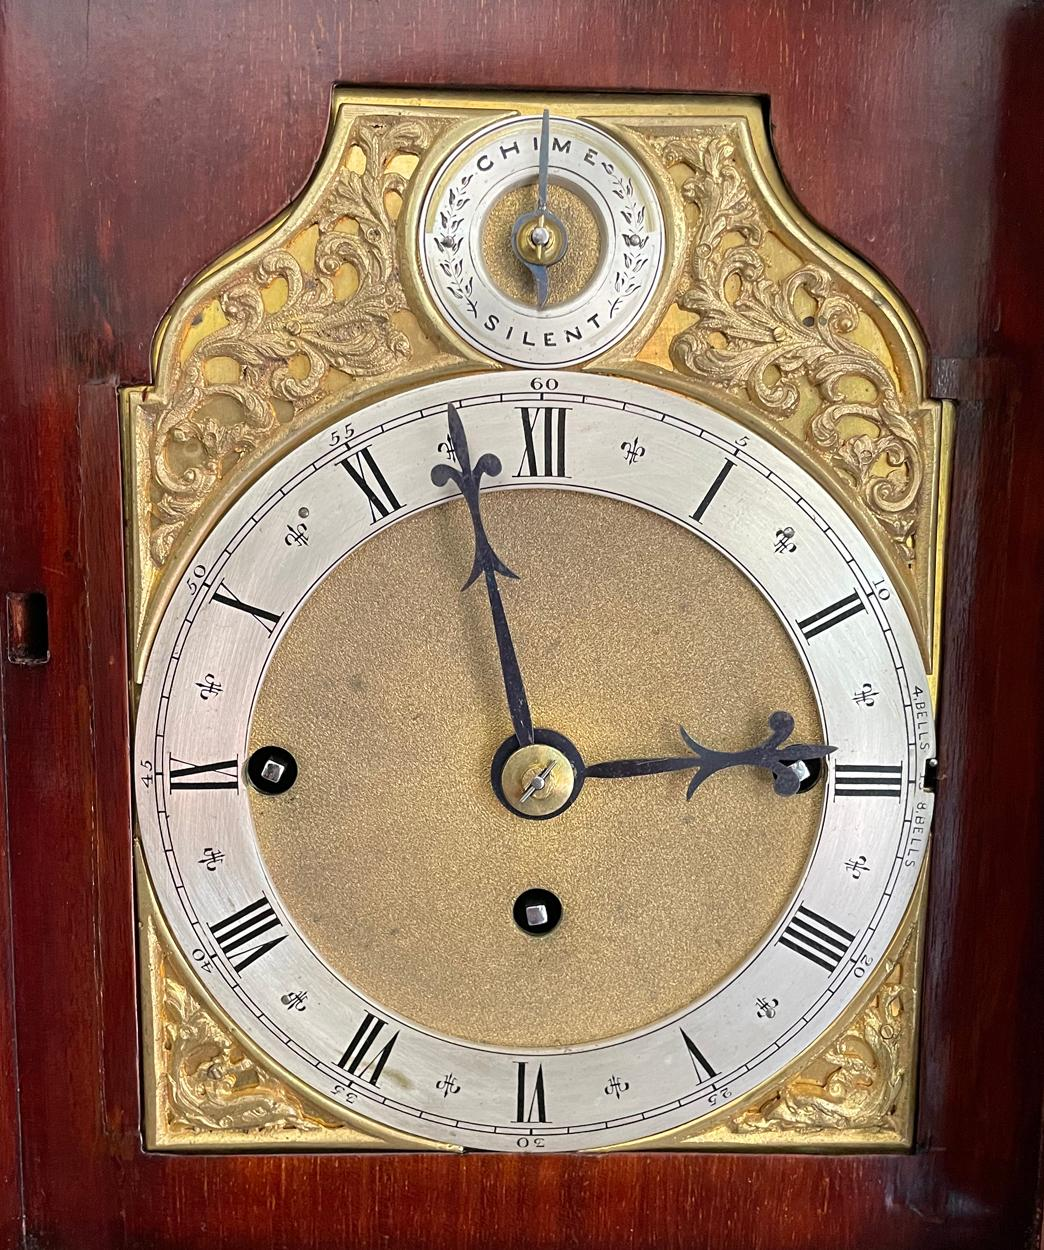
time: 2:57
